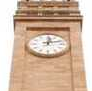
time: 12:12
